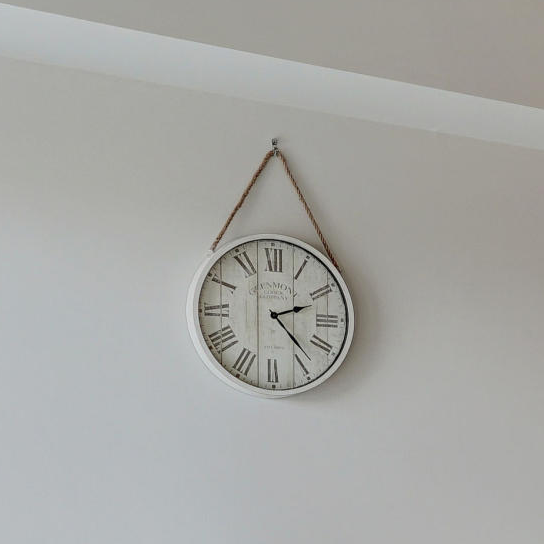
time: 2:23
